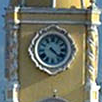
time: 4:21
